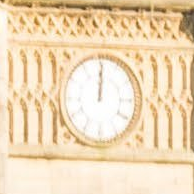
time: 12:00
